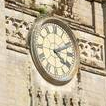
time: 4:10
